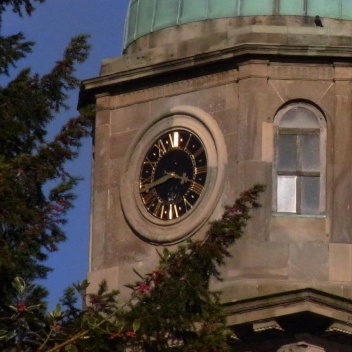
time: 8:17
